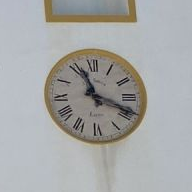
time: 11:18
